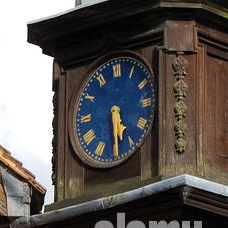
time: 5:29
